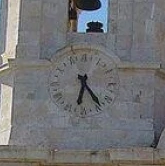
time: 6:24
